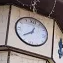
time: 12:38
